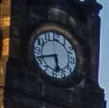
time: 5:42
